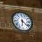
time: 6:22
